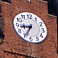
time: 8:34
